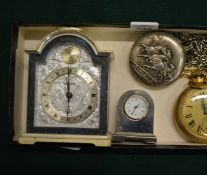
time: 5:59
